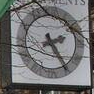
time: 2:24
